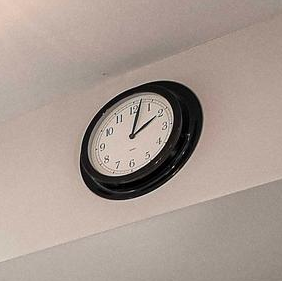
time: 2:01
